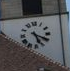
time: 5:19
